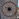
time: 9:36
